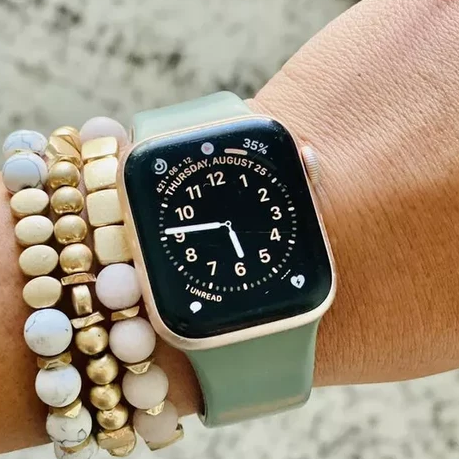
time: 5:45
